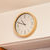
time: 10:48
